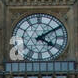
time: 4:09
